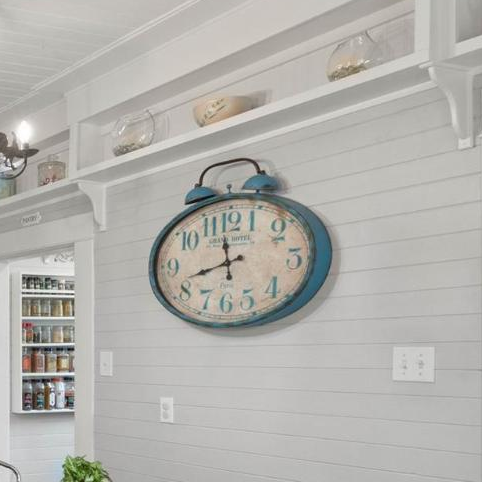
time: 11:42
